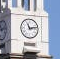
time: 11:12
